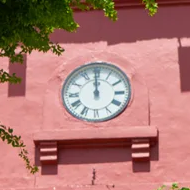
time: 11:59
